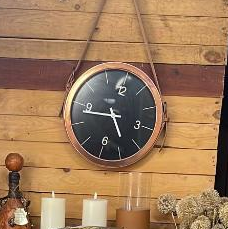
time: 4:43
